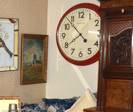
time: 7:52
